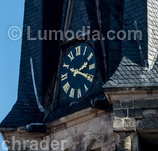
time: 2:19
